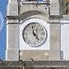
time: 4:57
